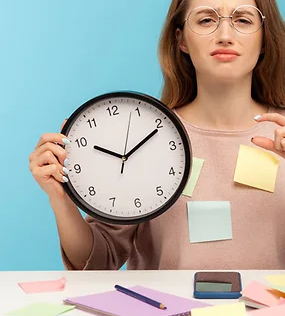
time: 10:10
